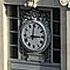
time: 3:00
